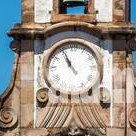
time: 10:55
